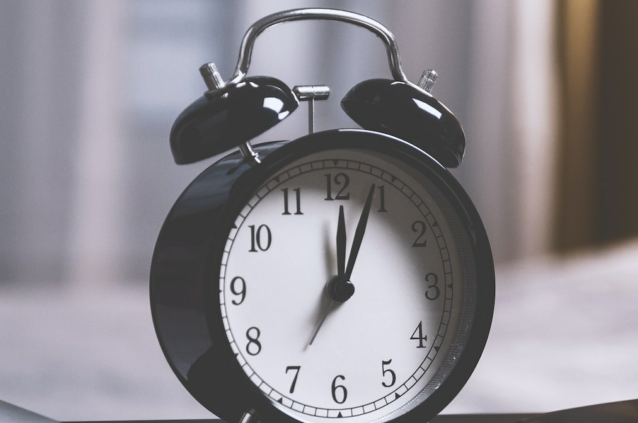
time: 12:03
